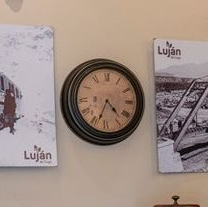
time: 4:33
